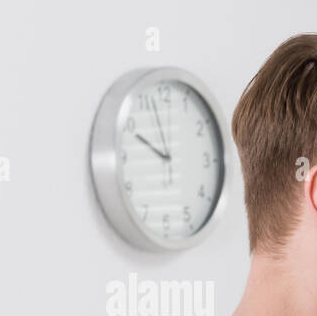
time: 9:57
